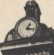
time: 1:17
